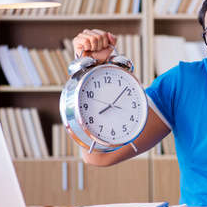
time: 8:08
